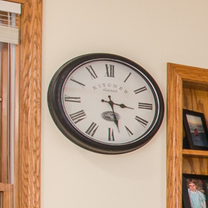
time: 3:27
